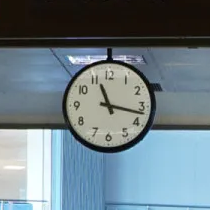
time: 11:17
